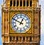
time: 12:49
